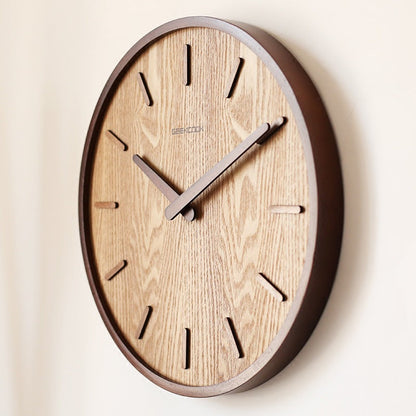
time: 10:09
